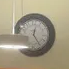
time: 12:24
